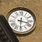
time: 3:30
